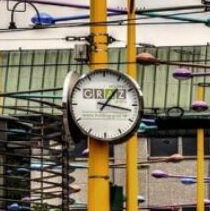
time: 1:16
